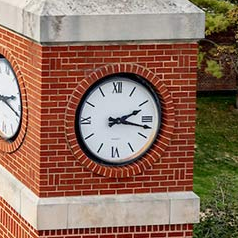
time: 2:17
